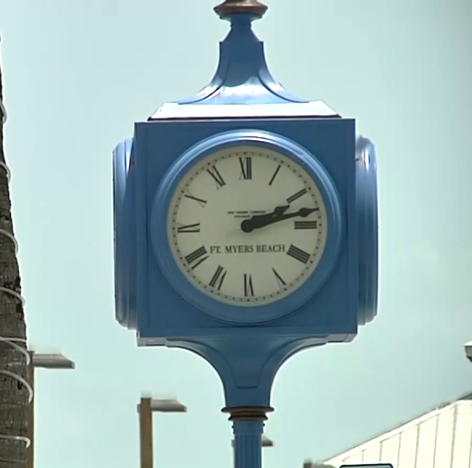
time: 2:13
